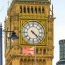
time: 4:22
